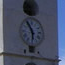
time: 5:54
